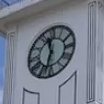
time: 11:32
